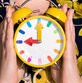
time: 9:00
